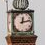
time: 12:13
